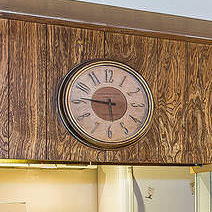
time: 5:46
